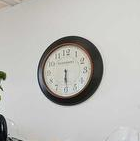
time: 6:29
